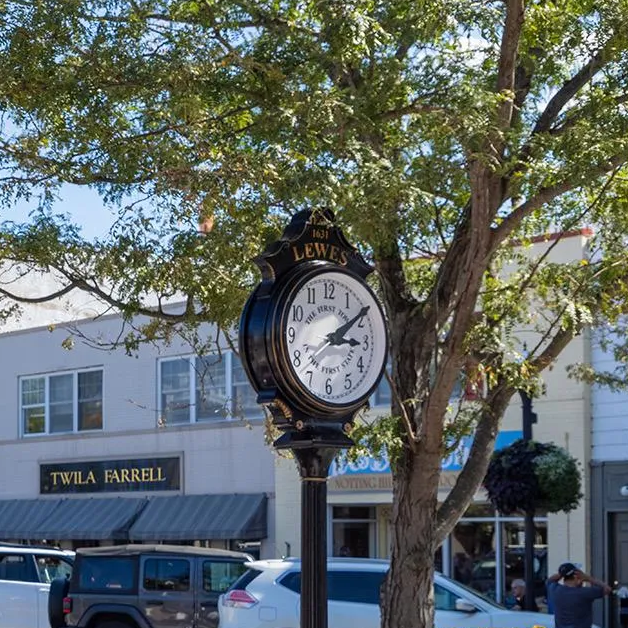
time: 3:09
